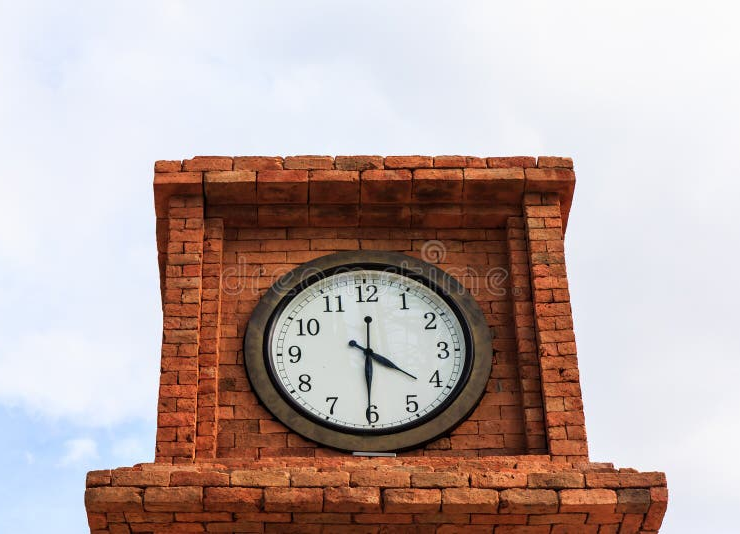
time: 4:30
